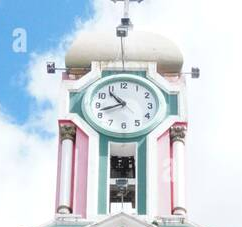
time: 10:42
